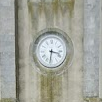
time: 3:31
